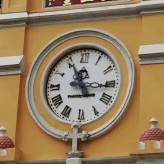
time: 11:15
